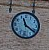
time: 11:21
